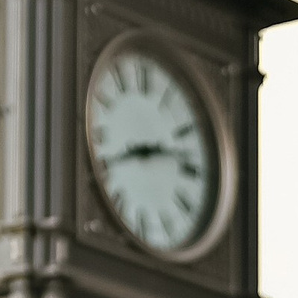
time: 2:40
